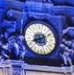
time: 8:11
